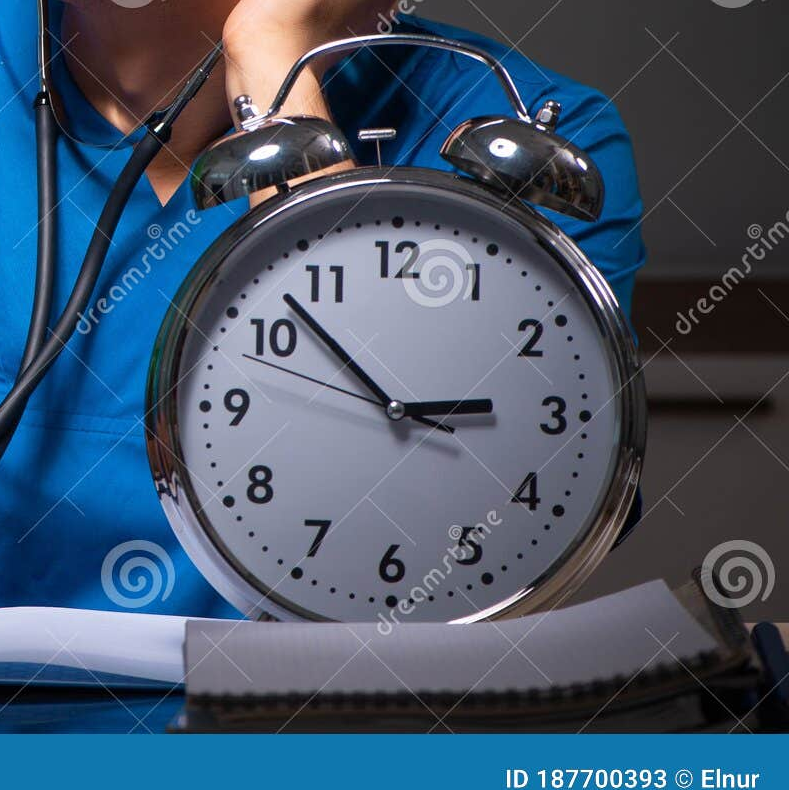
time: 2:52
